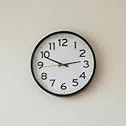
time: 2:49
